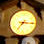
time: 7:15
